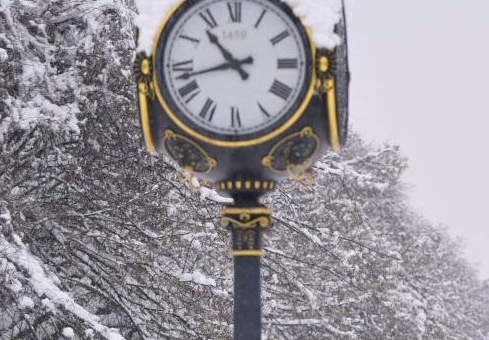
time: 10:42
